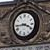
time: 3:43
